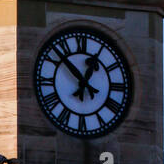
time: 12:52
